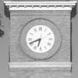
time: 6:41
